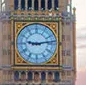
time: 9:13
